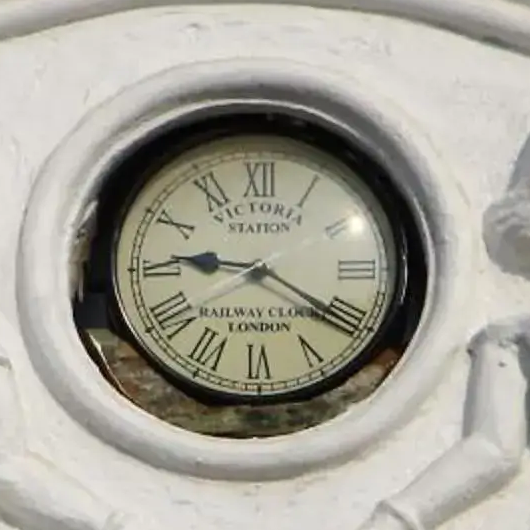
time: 9:20
